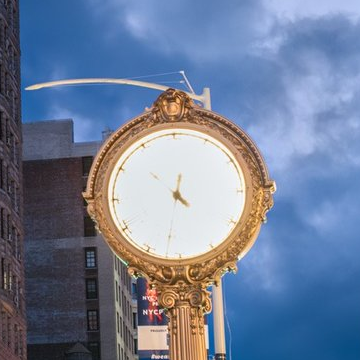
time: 4:31
